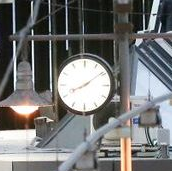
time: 8:09
